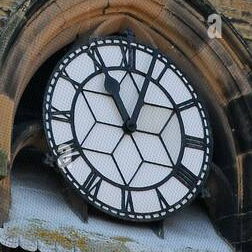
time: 11:03
